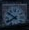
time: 7:51
